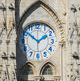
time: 1:51
